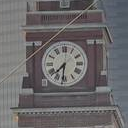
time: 7:31
